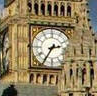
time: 2:35
